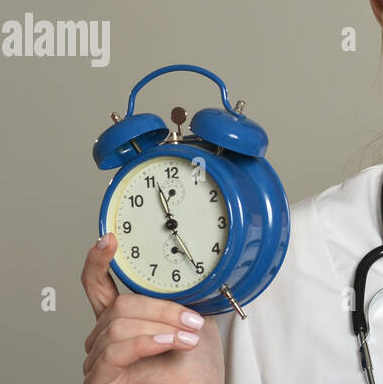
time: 4:56
